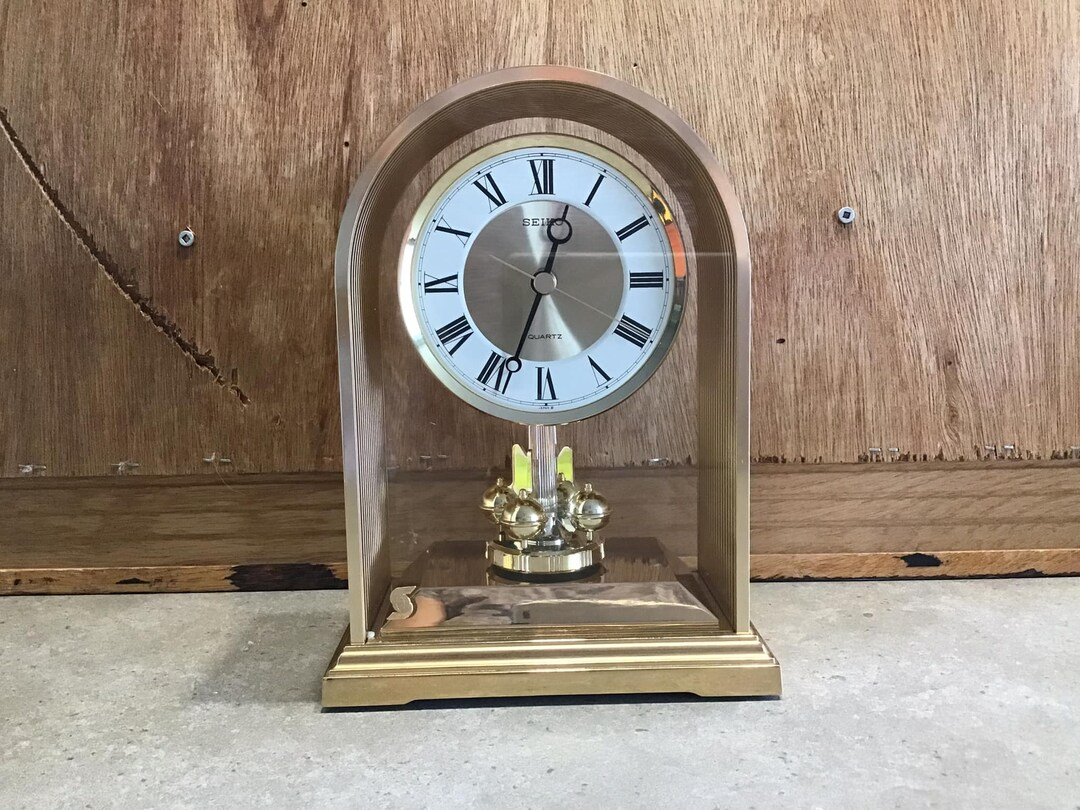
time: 12:33
